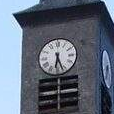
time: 6:26
